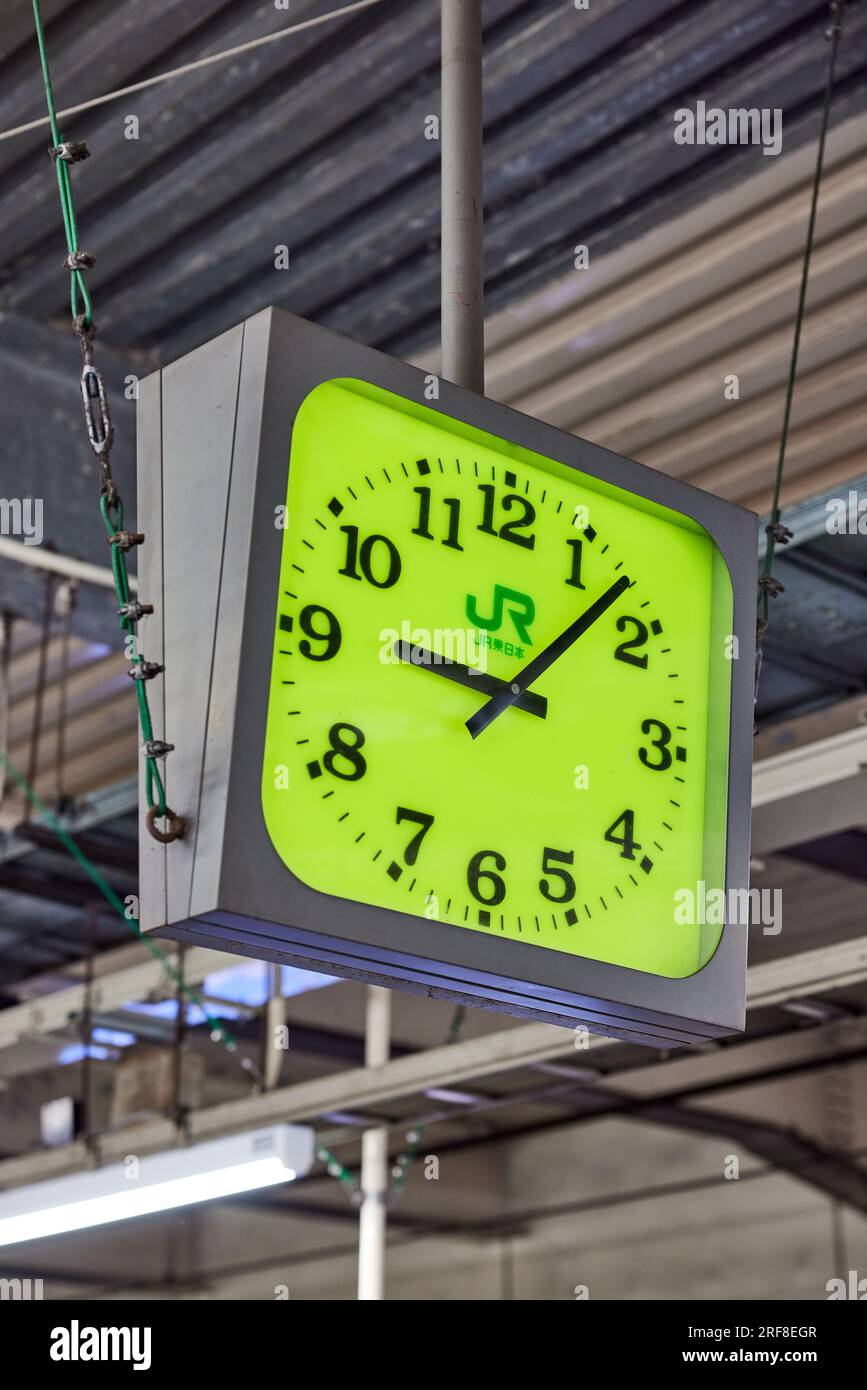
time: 9:07
